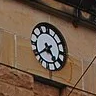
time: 4:38
